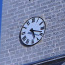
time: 5:18
